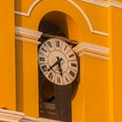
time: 5:38
